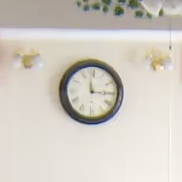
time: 2:58
